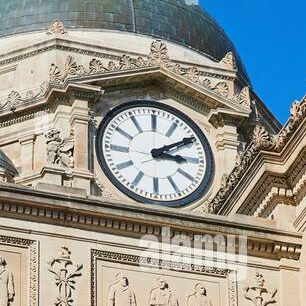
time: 3:09
